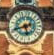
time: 5:41
